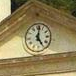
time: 5:01
